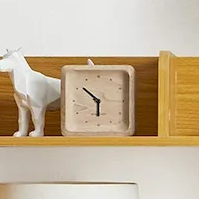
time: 5:51
